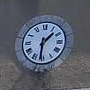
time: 1:31
